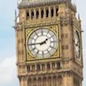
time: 1:44
